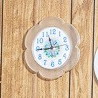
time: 11:44
